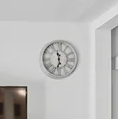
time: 11:32
